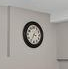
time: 3:34
